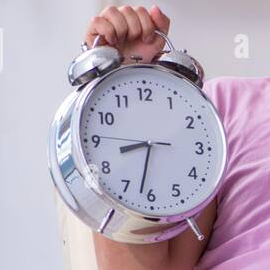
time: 8:32
